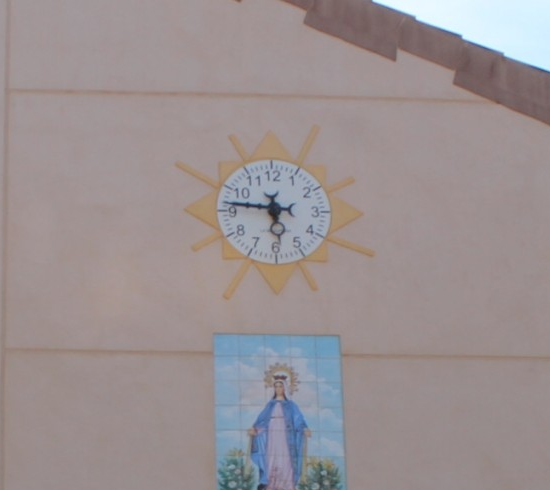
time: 5:46
